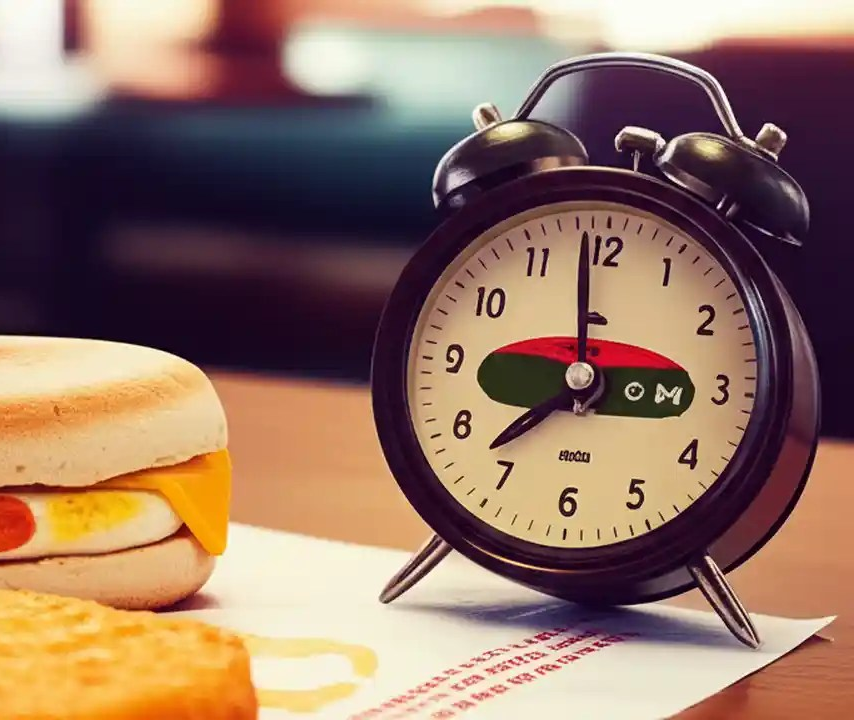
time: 2:58
